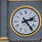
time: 2:23
